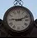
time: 9:11
